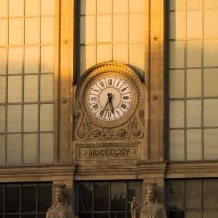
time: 5:34
